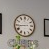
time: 2:43
